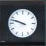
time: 9:48
